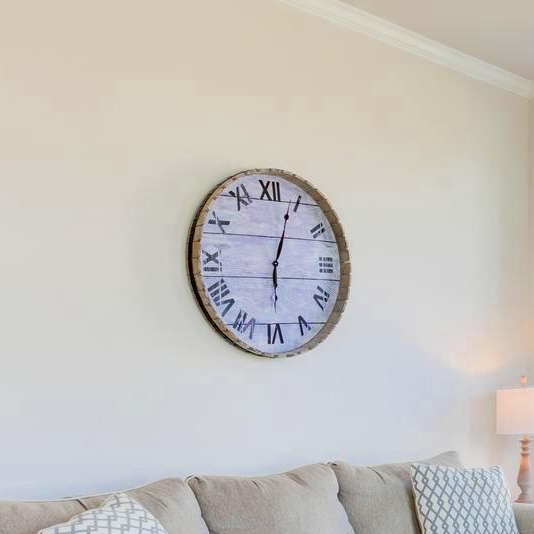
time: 6:03
